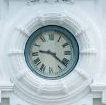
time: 9:21
